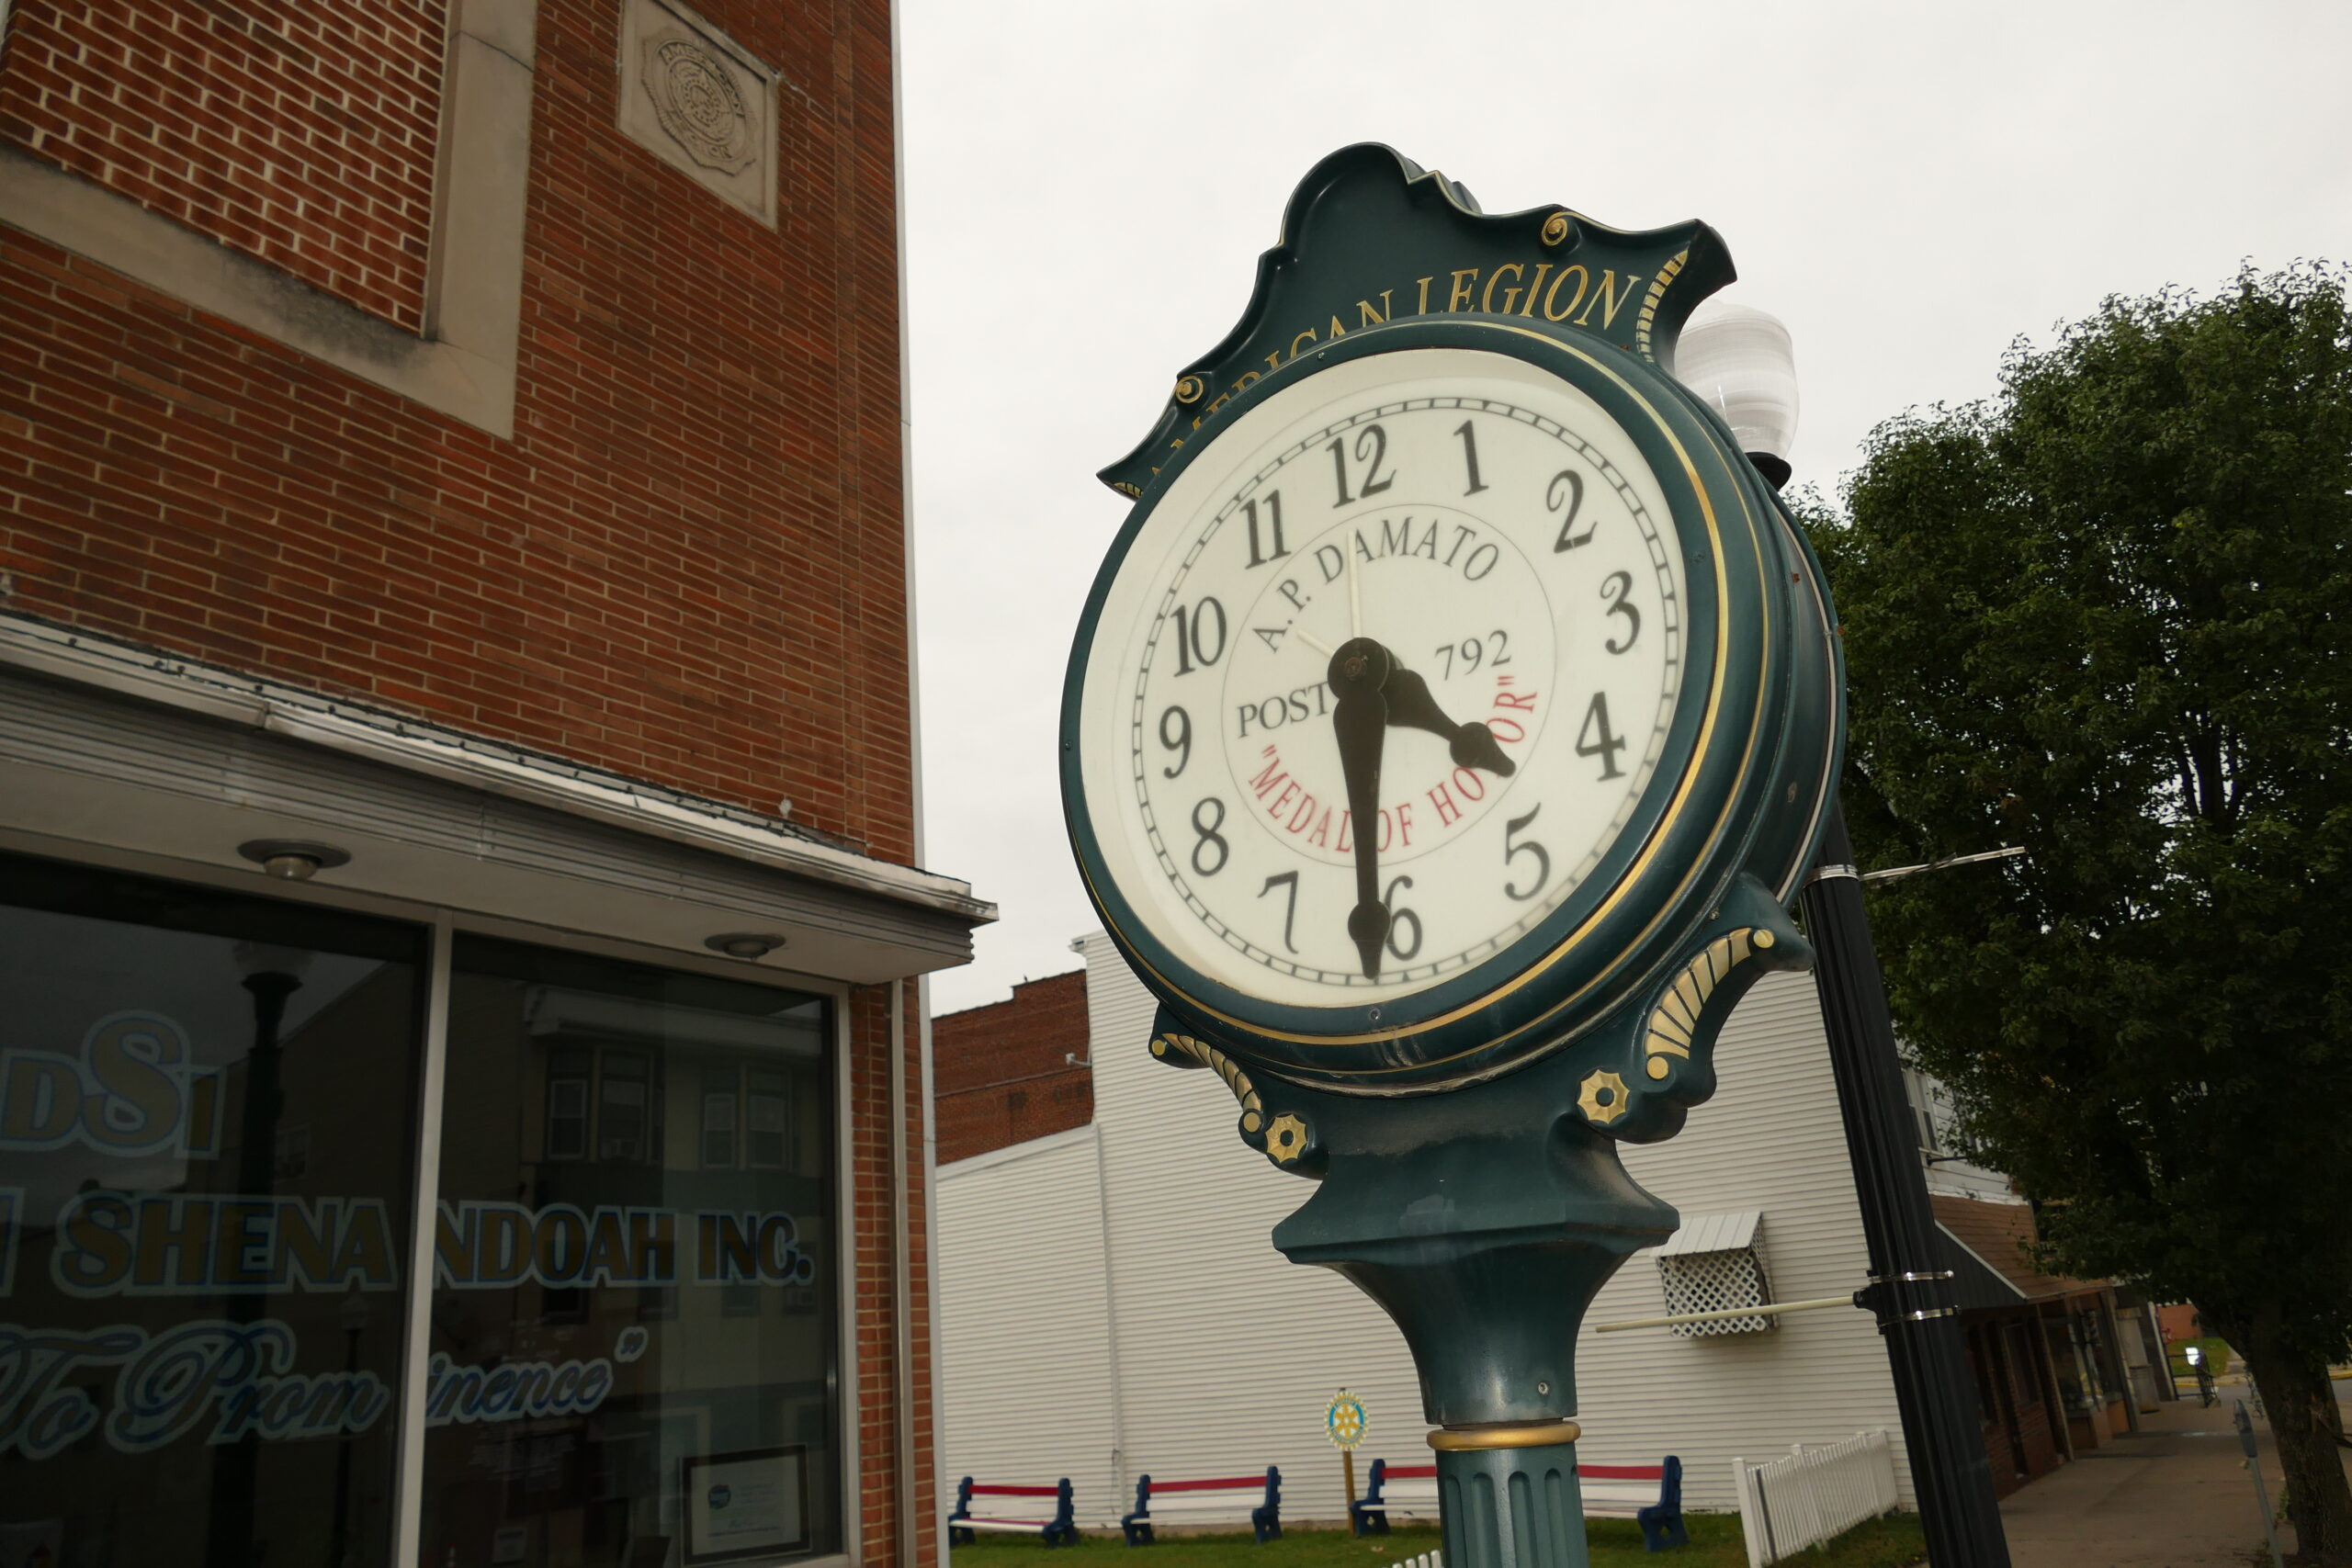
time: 4:31
